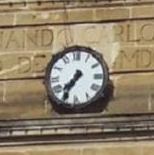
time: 7:35
